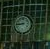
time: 8:43
